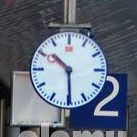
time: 10:29
